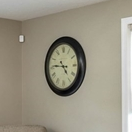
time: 4:45
